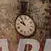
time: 9:53
